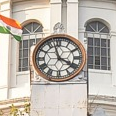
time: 3:57
